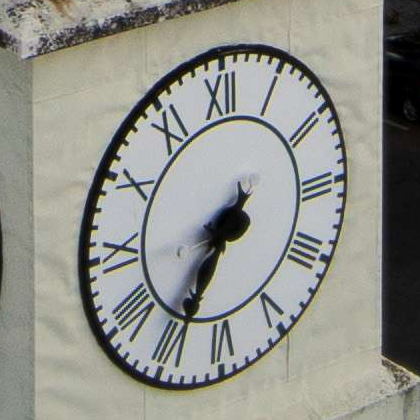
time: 7:35
